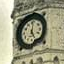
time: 12:26
